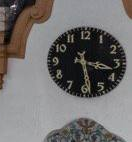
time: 3:28
